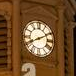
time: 8:10
